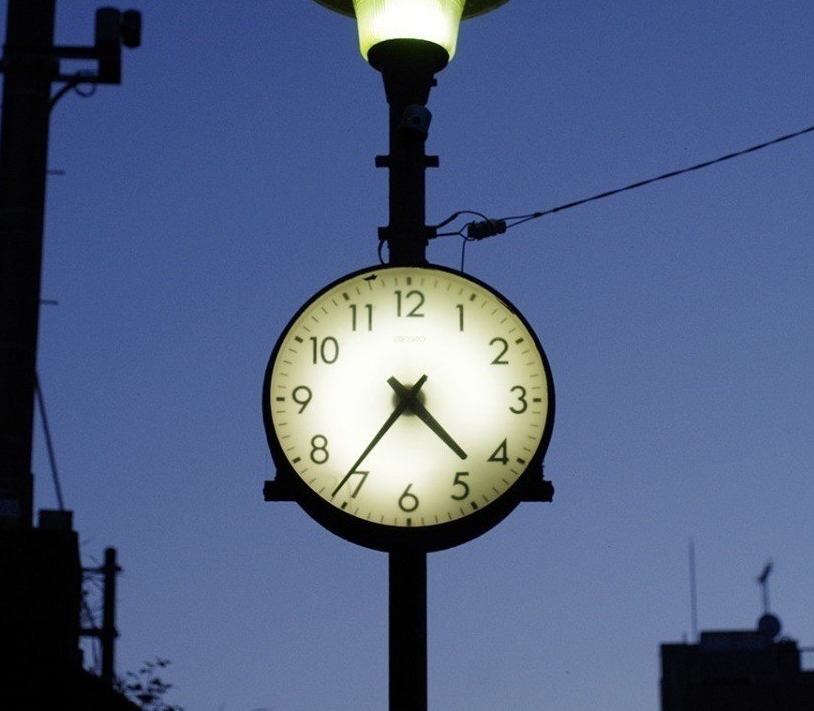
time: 4:36
